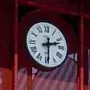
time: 2:29
